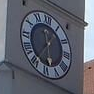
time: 11:35
